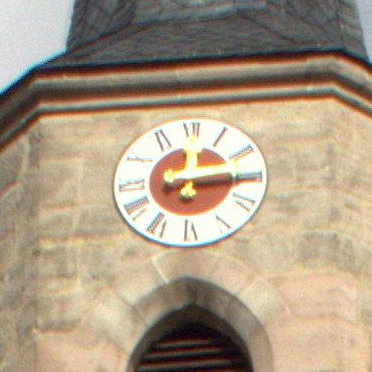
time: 12:14
